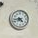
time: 4:43
